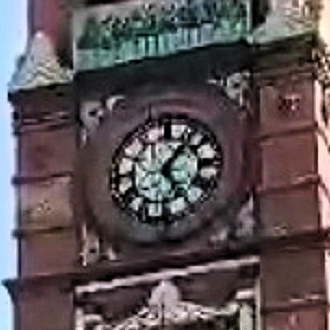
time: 1:24
